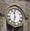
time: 11:32
